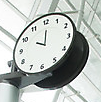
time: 10:00
